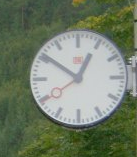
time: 12:50
